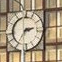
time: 2:35
